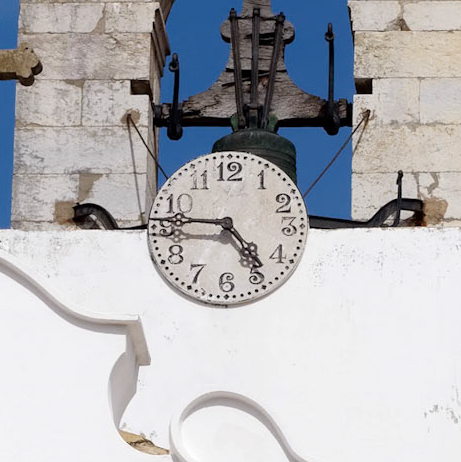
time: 4:45
